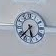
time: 5:37
